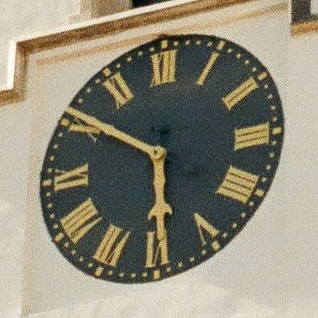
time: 5:50
